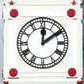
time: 12:09
